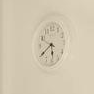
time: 5:39
